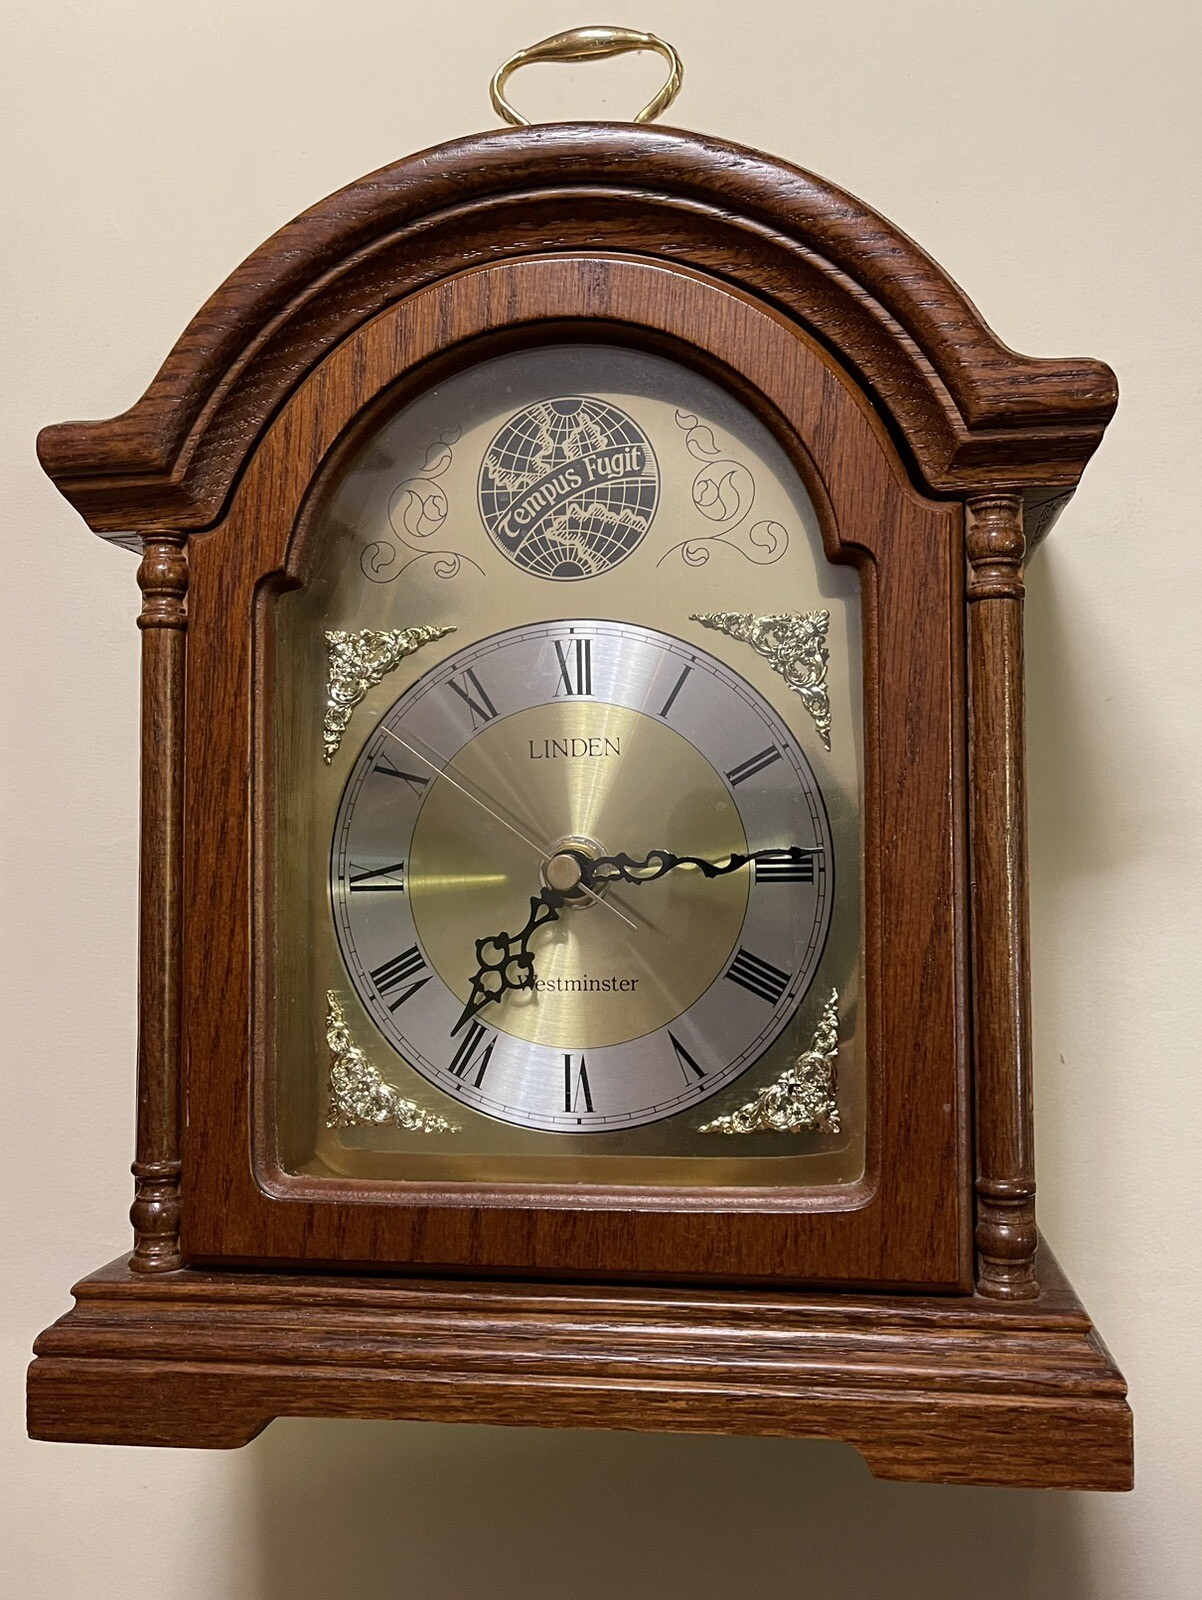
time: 7:14
